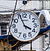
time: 3:56
